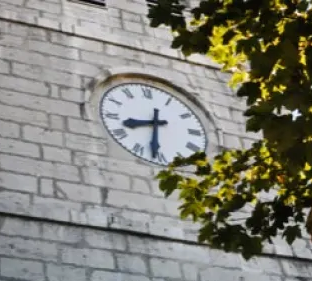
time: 8:31
